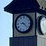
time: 9:22
